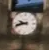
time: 9:42
